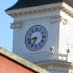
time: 6:43
